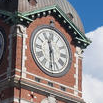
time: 11:29
